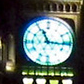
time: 11:16
